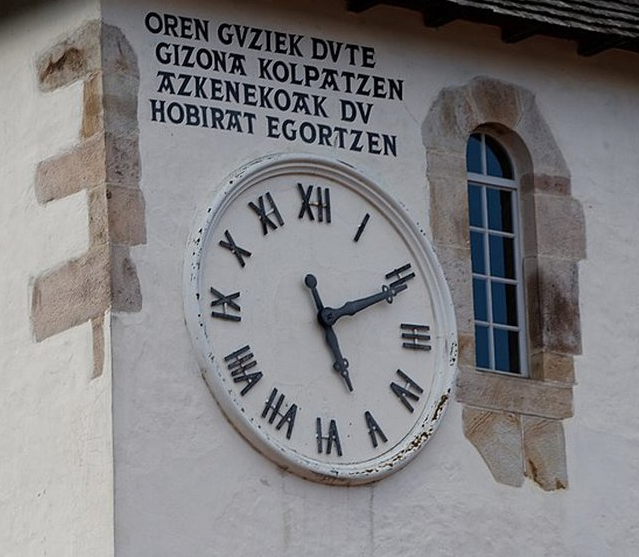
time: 5:11
